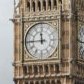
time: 11:44
